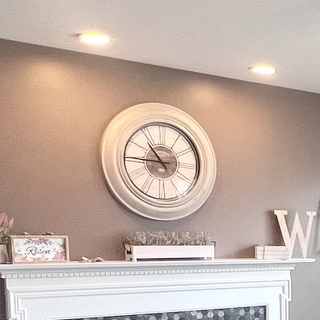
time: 10:45
